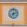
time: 7:11
